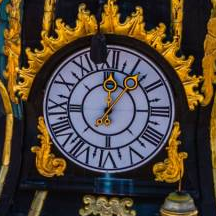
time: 12:07
